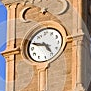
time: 4:48
